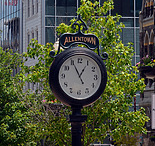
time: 12:55
